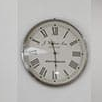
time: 11:29
